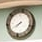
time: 7:40
